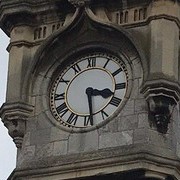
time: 3:28
